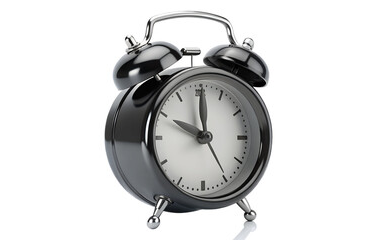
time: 10:00
